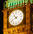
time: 10:41
